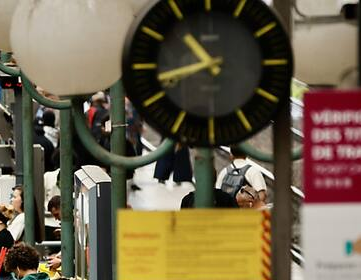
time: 10:42
